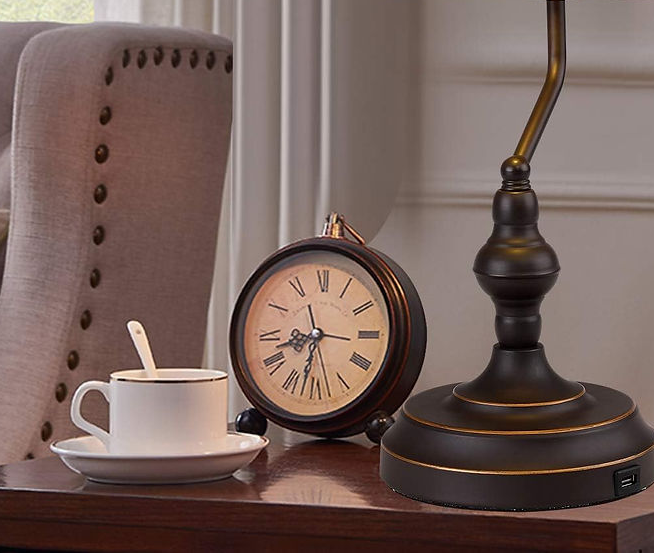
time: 8:32
